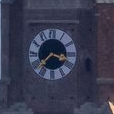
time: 3:37
